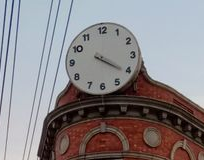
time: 4:20
